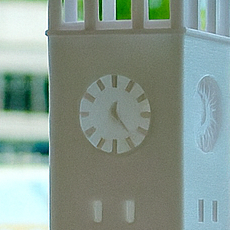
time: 12:23
